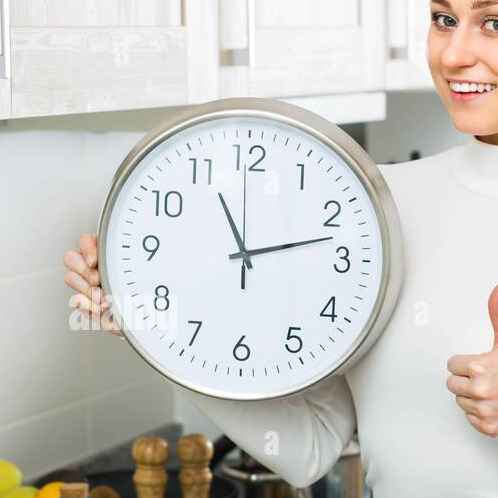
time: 11:12
